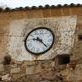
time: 9:22
